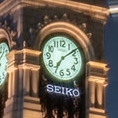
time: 7:08
